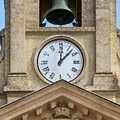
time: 12:07
